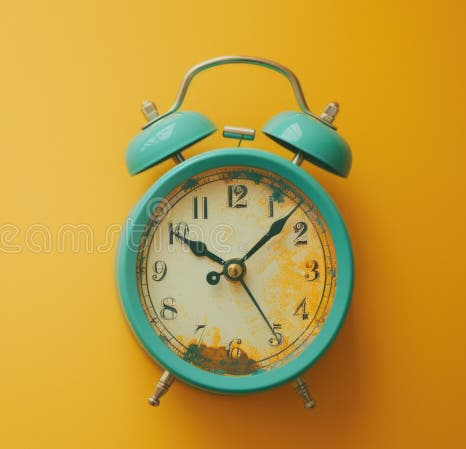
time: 10:07
